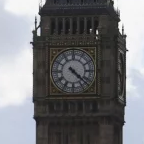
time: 4:22
